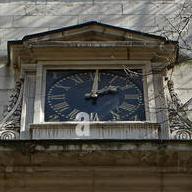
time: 2:00
